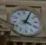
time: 4:04
